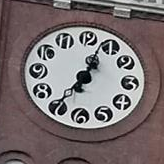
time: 7:03
